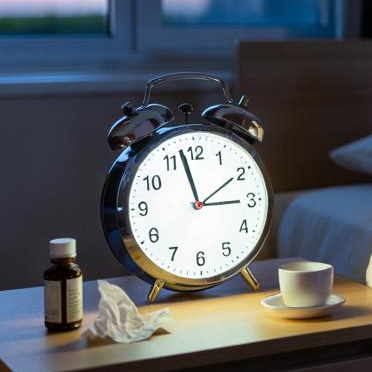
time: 2:57
